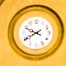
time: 9:40
